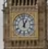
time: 12:58
